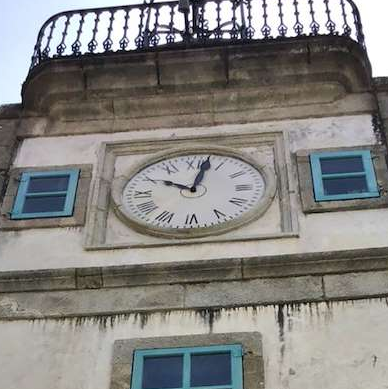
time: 10:02
